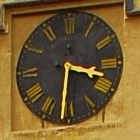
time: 3:31
